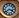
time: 3:39
